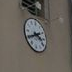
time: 3:40
